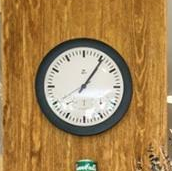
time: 1:05
